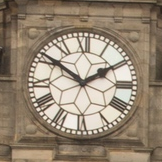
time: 1:51
